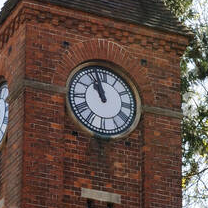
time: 10:57
